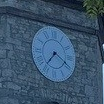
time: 7:19
